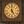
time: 4:59
